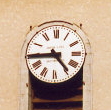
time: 4:44
